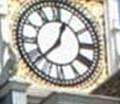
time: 12:38
